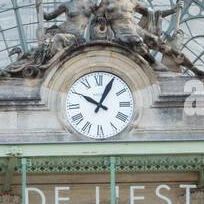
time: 10:04
